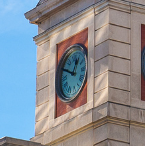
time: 12:49
